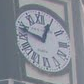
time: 12:47
